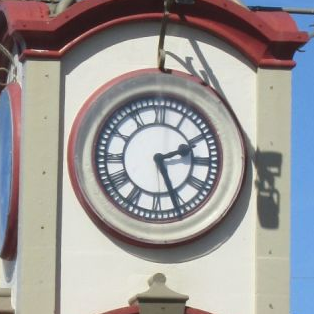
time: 2:26
